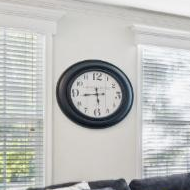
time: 5:43
